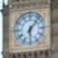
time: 6:06
